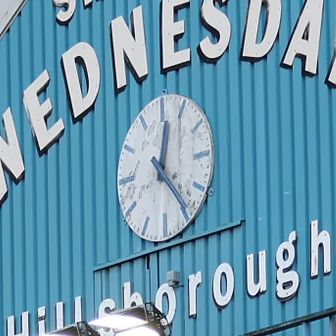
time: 12:23
